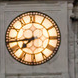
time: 7:43
